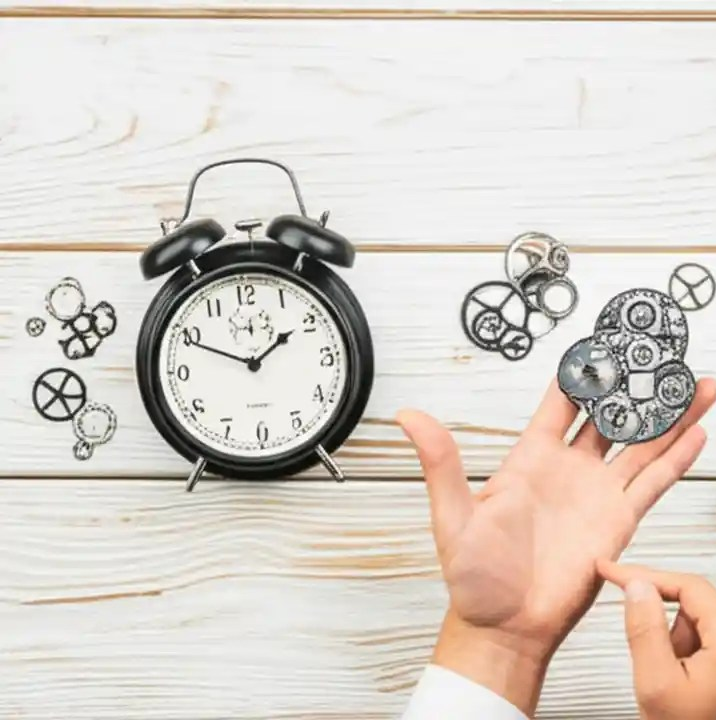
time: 1:49
